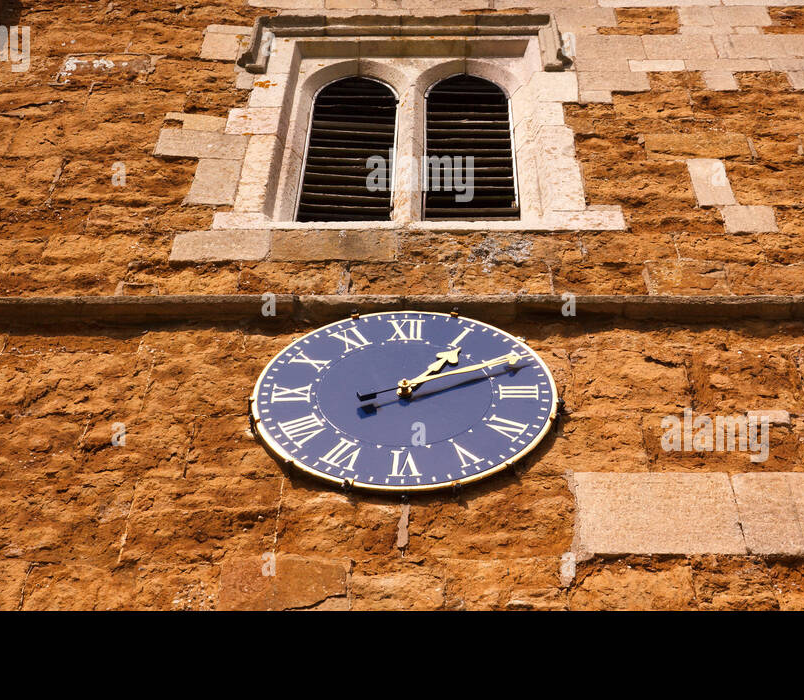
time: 1:11
